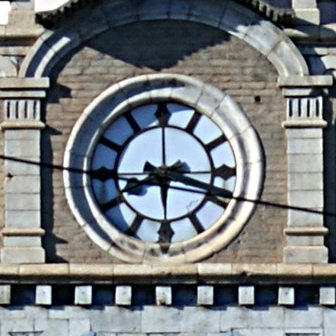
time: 8:18
